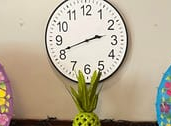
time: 2:41
